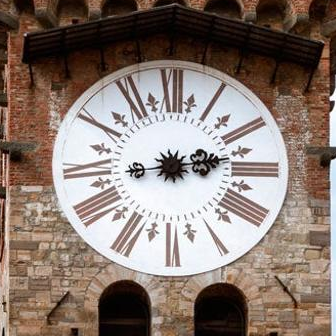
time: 2:12
